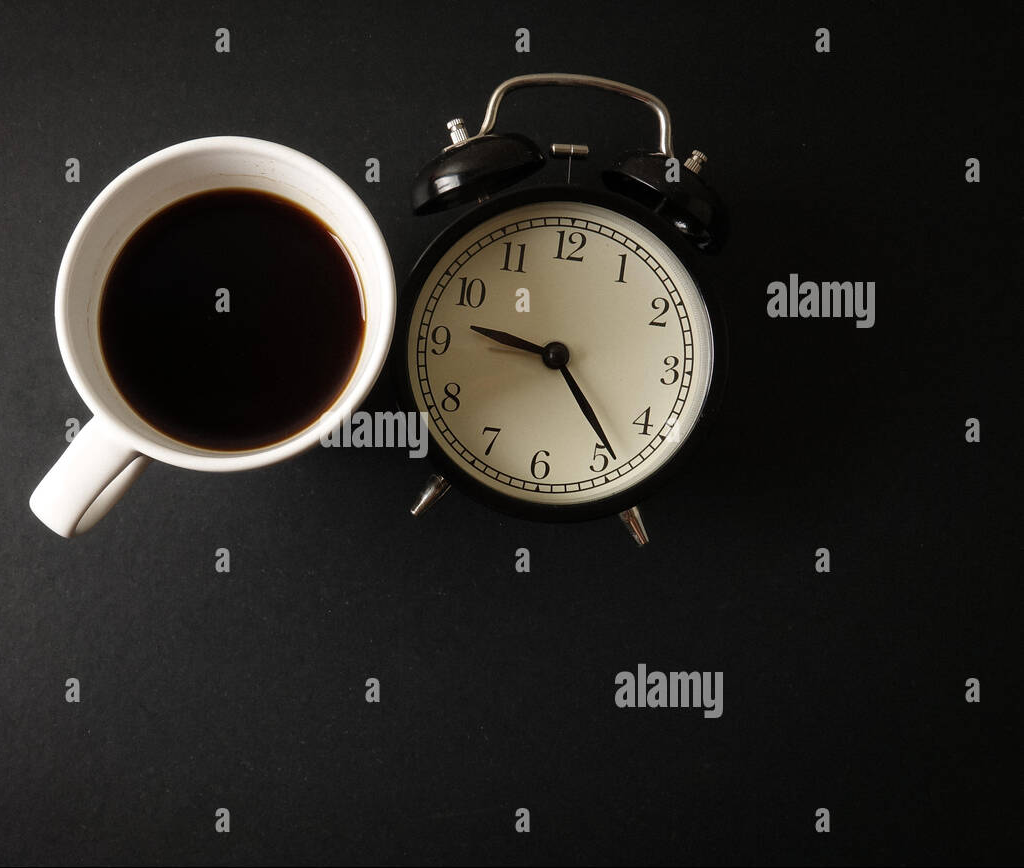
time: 9:23
